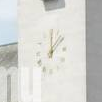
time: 12:07
